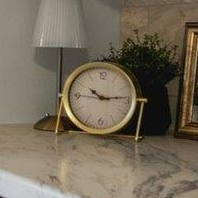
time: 10:14
